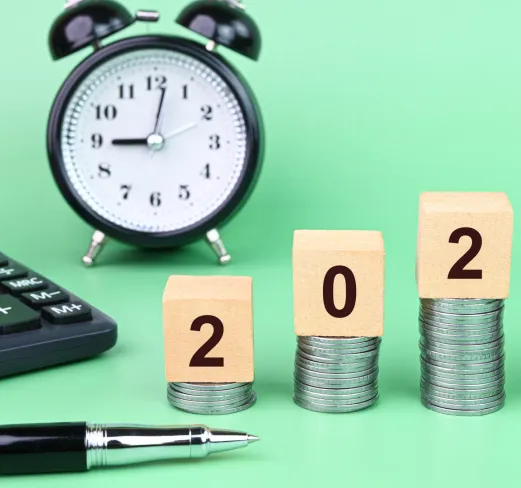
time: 9:01
